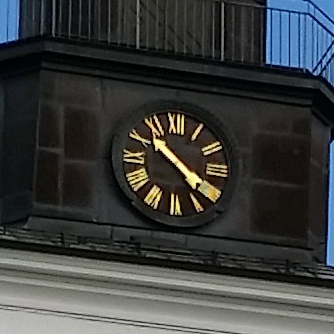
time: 10:20
